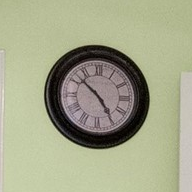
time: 4:52
